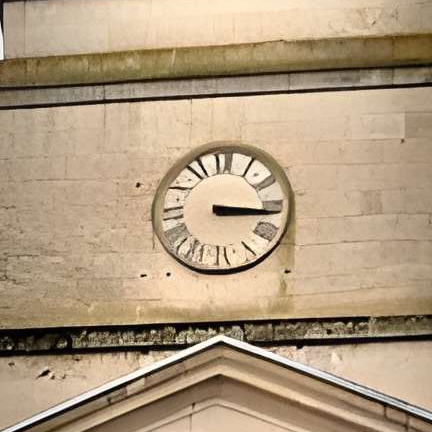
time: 3:16
